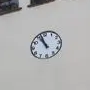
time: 10:57
